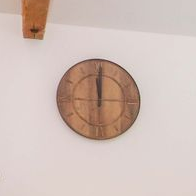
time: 12:00
